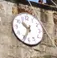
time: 10:34
